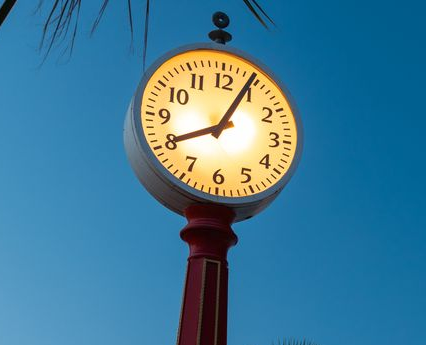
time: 8:04
